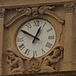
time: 12:50
